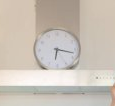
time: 6:17
